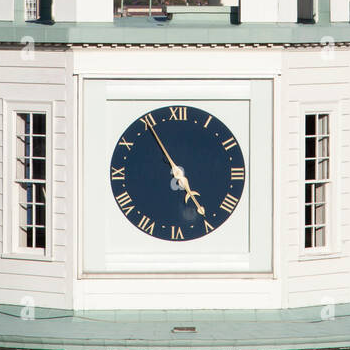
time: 4:54
